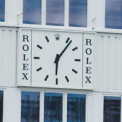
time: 6:06
